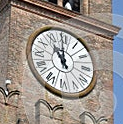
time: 10:59
